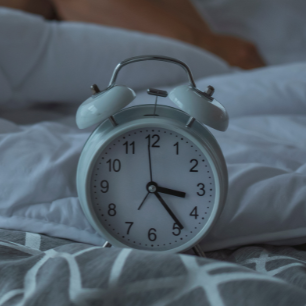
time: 3:23
